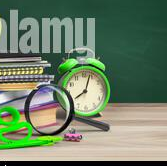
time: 8:03
